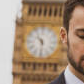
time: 10:30
